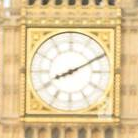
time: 8:10
